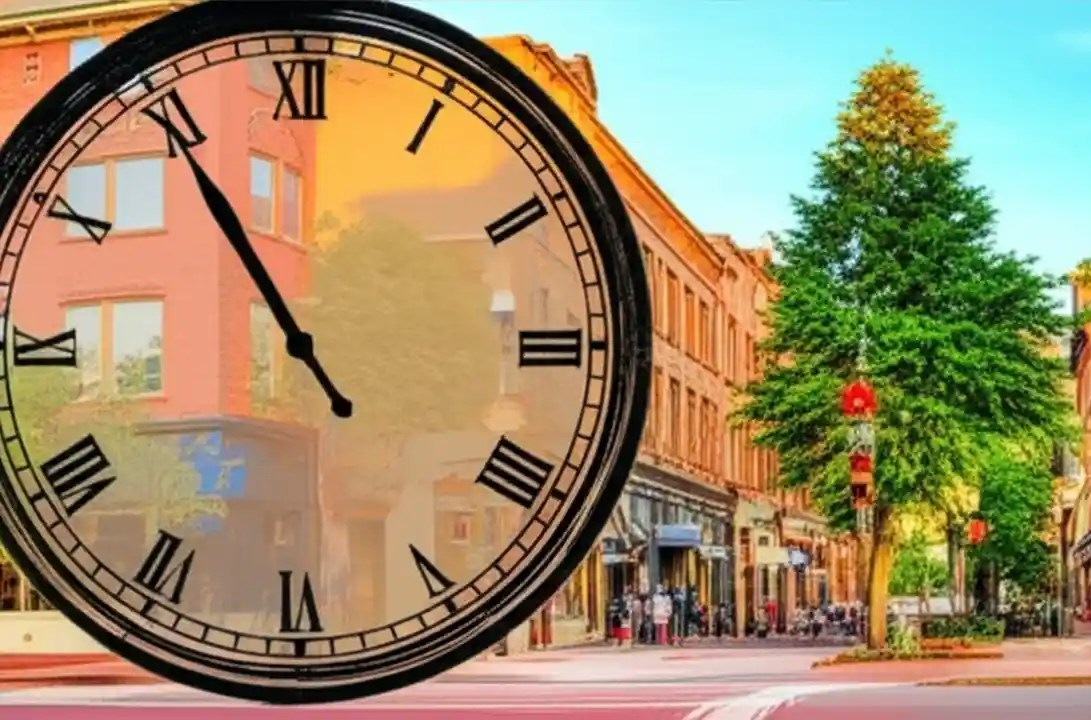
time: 10:54
